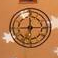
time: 12:14
